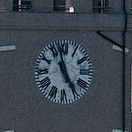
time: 4:57
